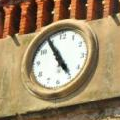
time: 4:54
